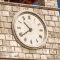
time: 10:38
